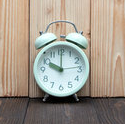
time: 10:00
